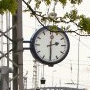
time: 2:29
